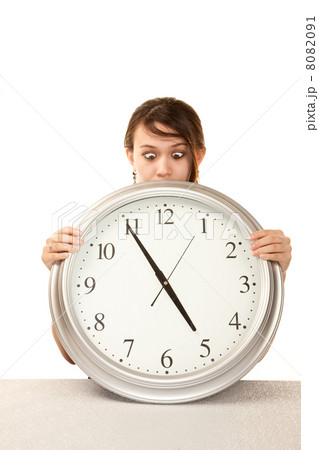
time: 4:54
